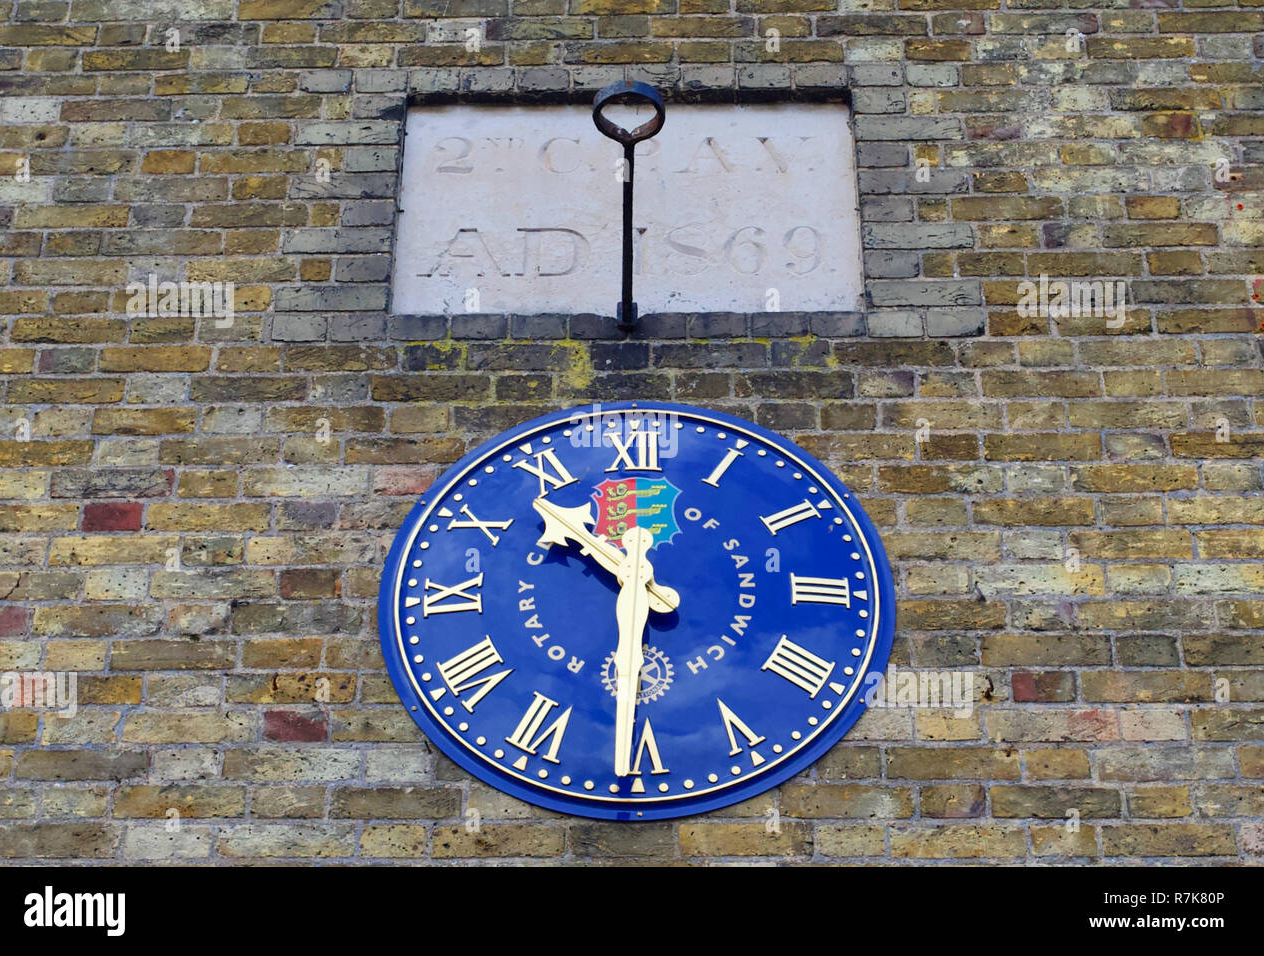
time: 10:30
